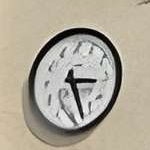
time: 3:26
